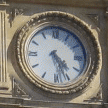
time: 4:26
